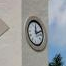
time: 12:11
